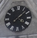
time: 4:07
